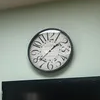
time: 1:37
